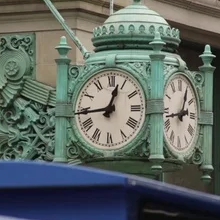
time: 12:44
